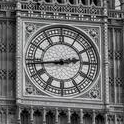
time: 2:43
